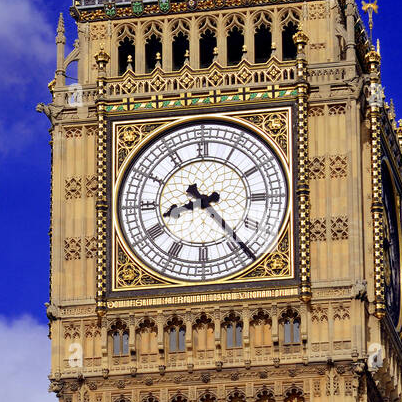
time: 8:23
